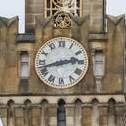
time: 2:42
